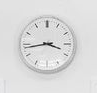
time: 3:43
